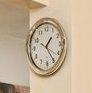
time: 1:24
